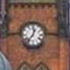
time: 12:36
